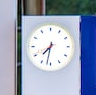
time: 7:32
